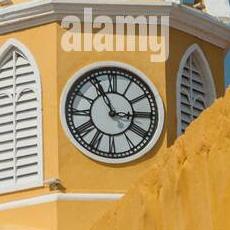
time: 2:55
